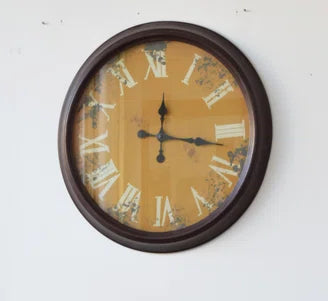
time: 12:17
